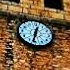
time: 12:32
